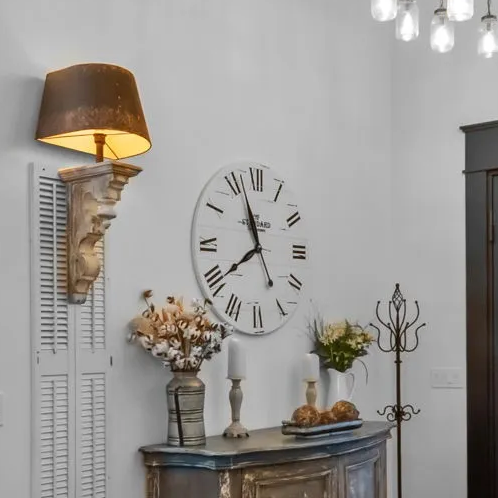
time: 7:57
